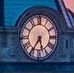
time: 5:35
